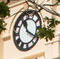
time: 11:20
